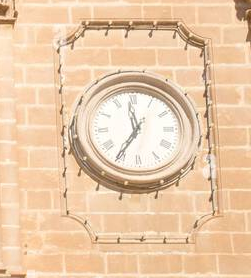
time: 11:35
